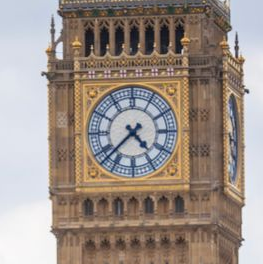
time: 4:37
